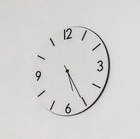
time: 5:25
